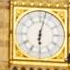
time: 6:02
